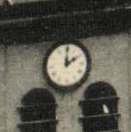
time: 2:00
